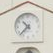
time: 10:37
